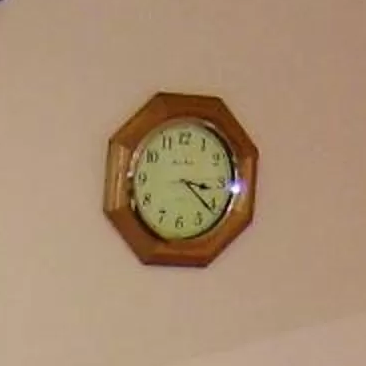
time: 3:21
